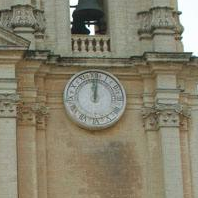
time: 12:01
